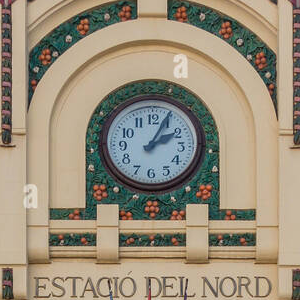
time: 2:04
